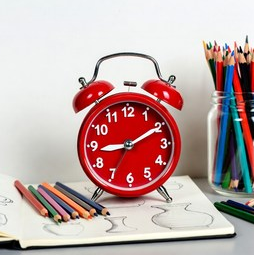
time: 9:10
